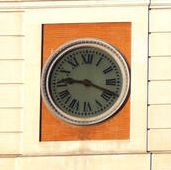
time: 9:18
